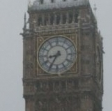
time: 8:35
